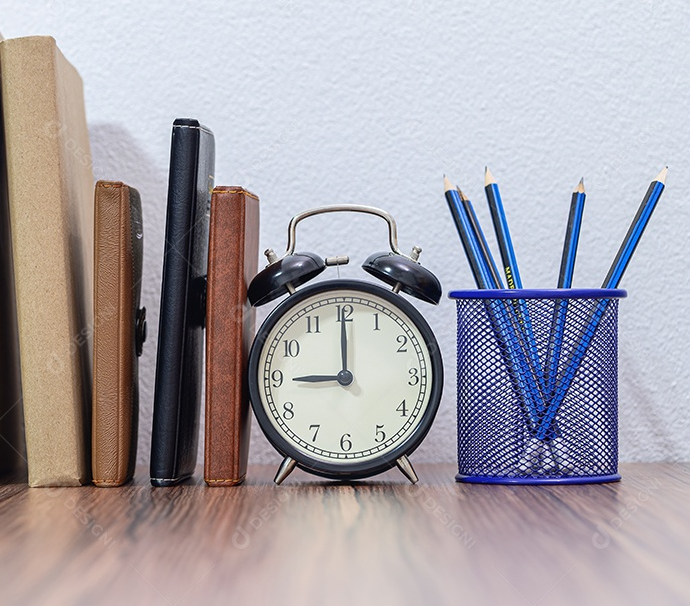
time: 9:00
